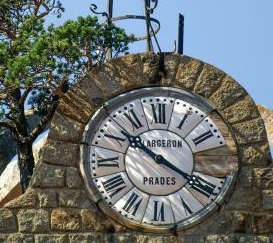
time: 10:19
